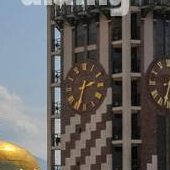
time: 2:33
